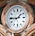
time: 1:44
